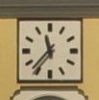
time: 11:36
